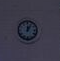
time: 12:05
